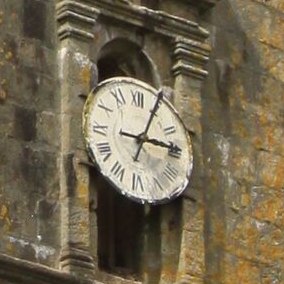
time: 3:04
